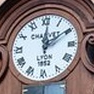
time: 12:09
